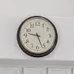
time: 9:26
